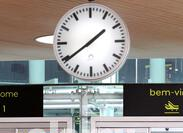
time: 1:39
